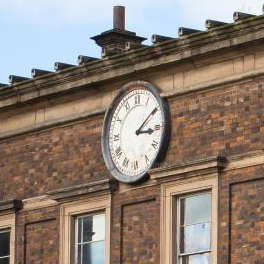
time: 3:09
